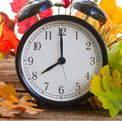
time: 7:59
